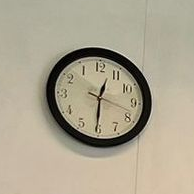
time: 12:30
